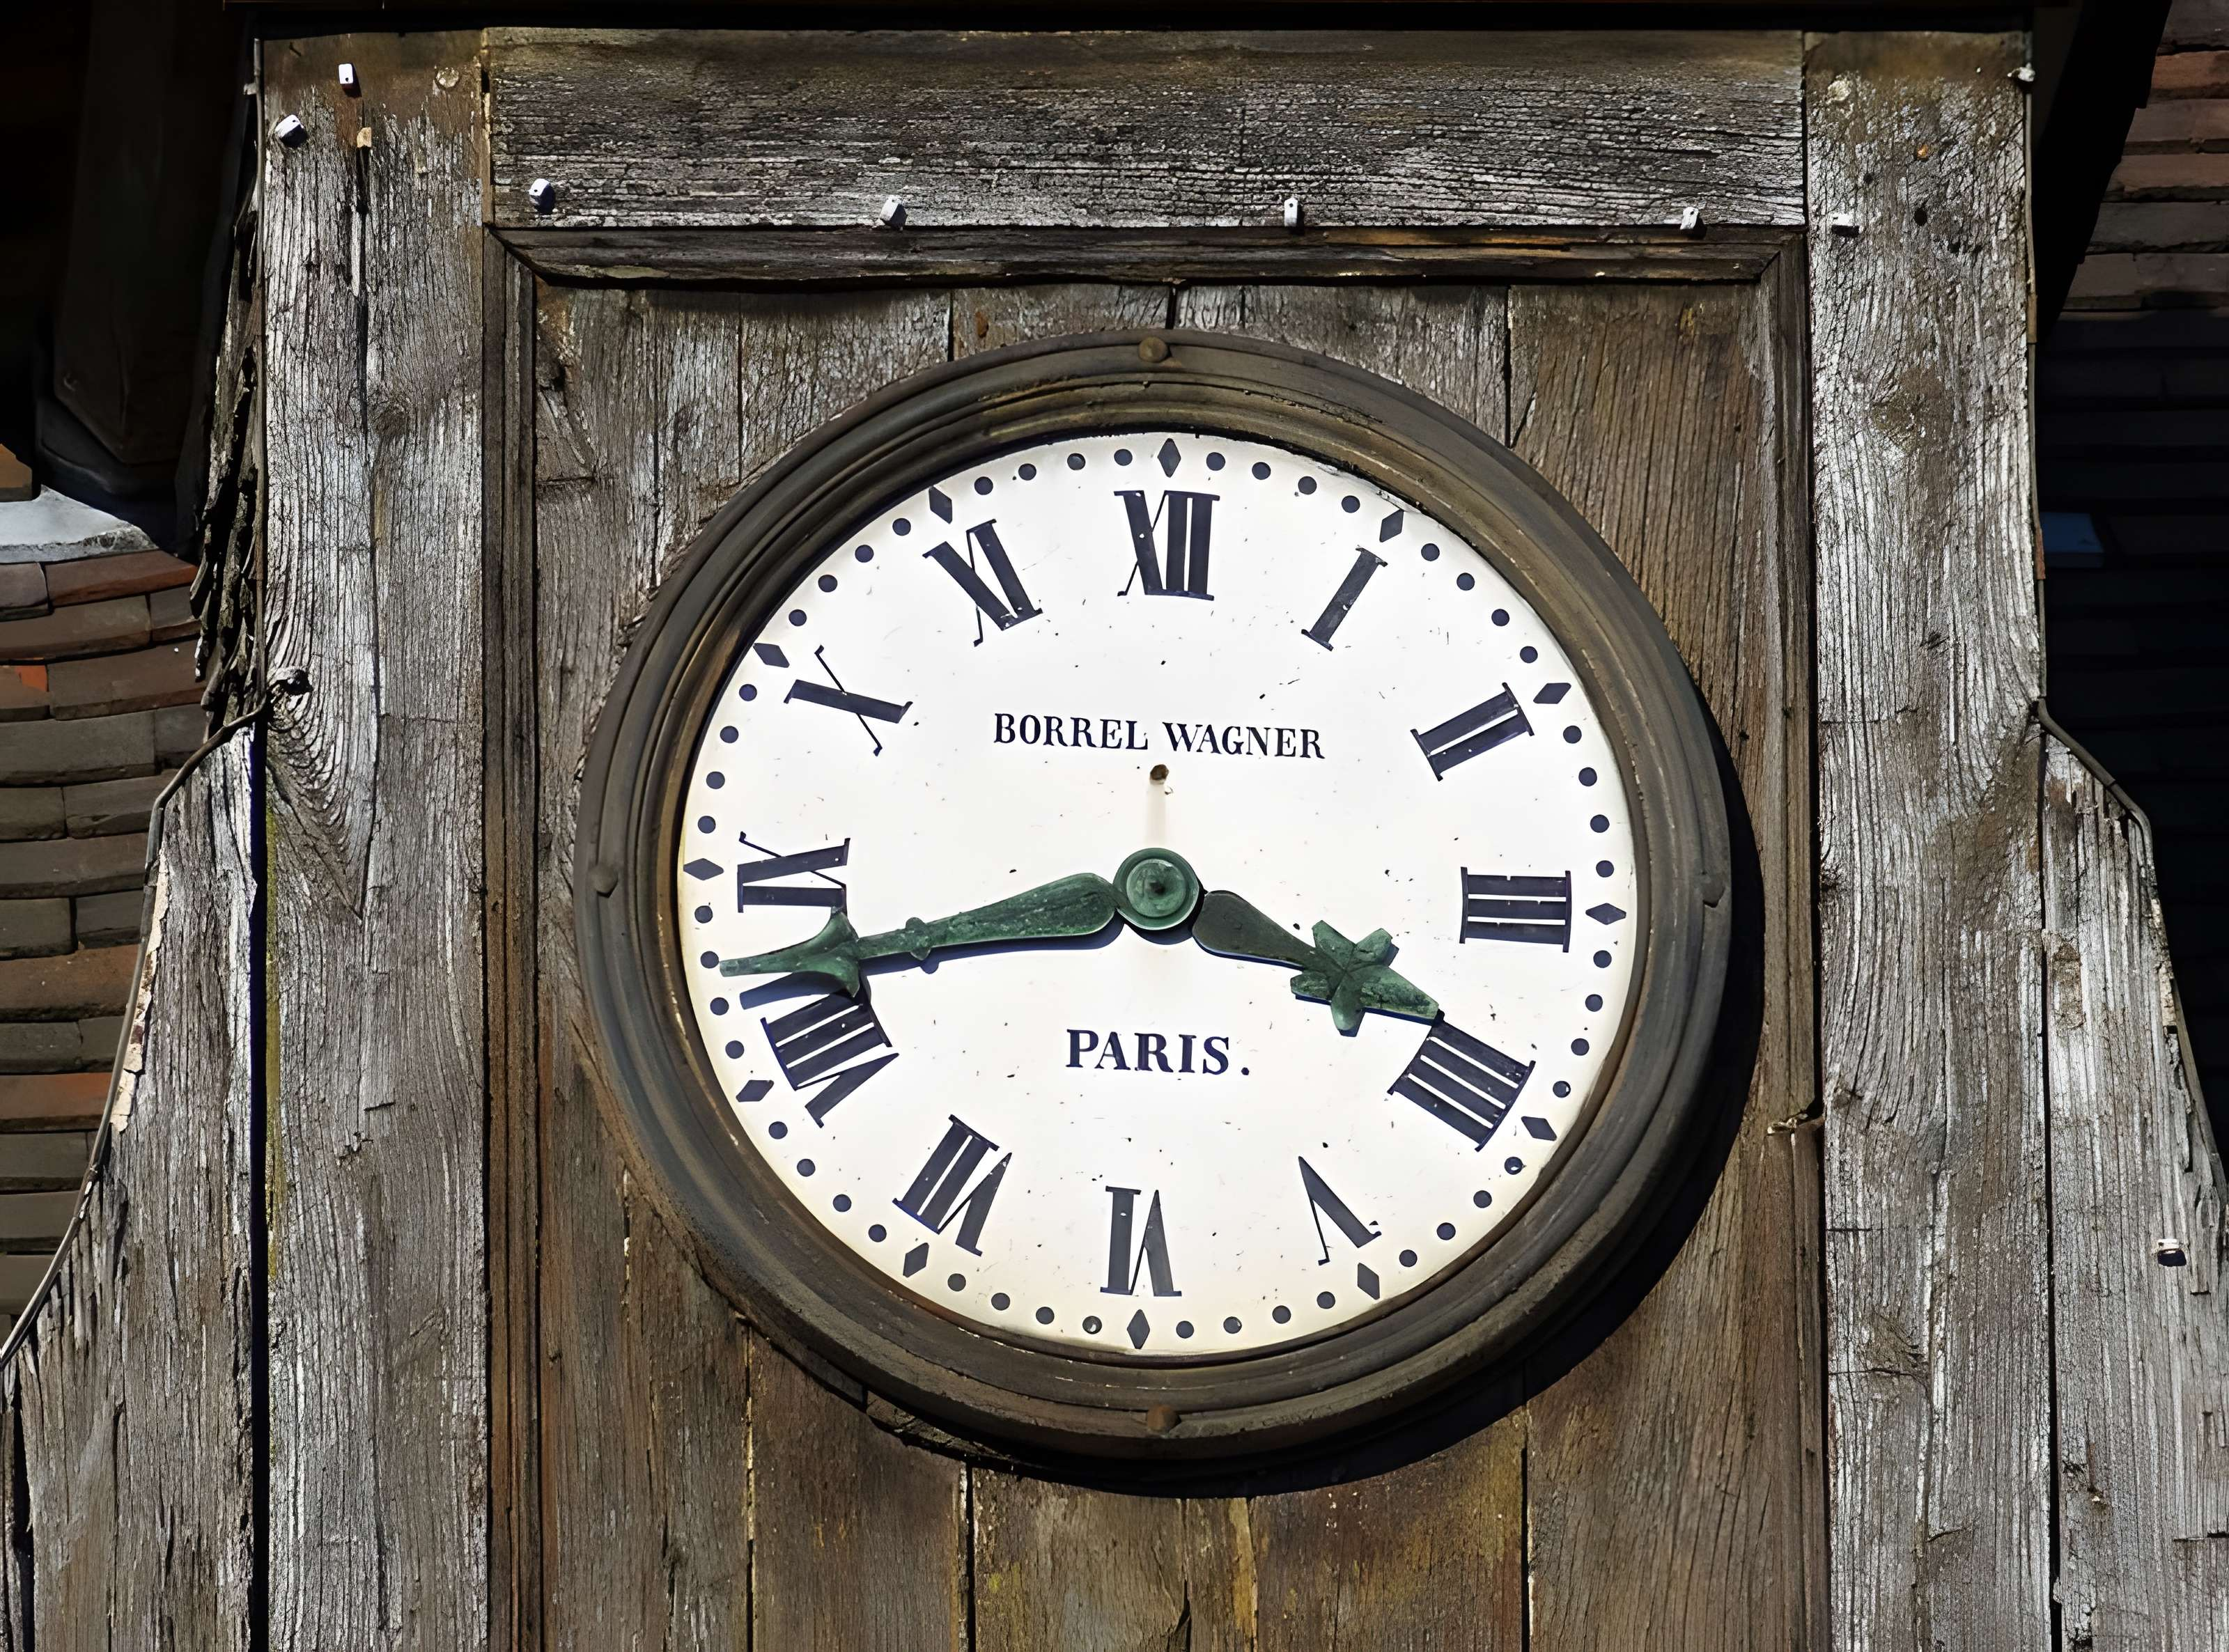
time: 3:42
